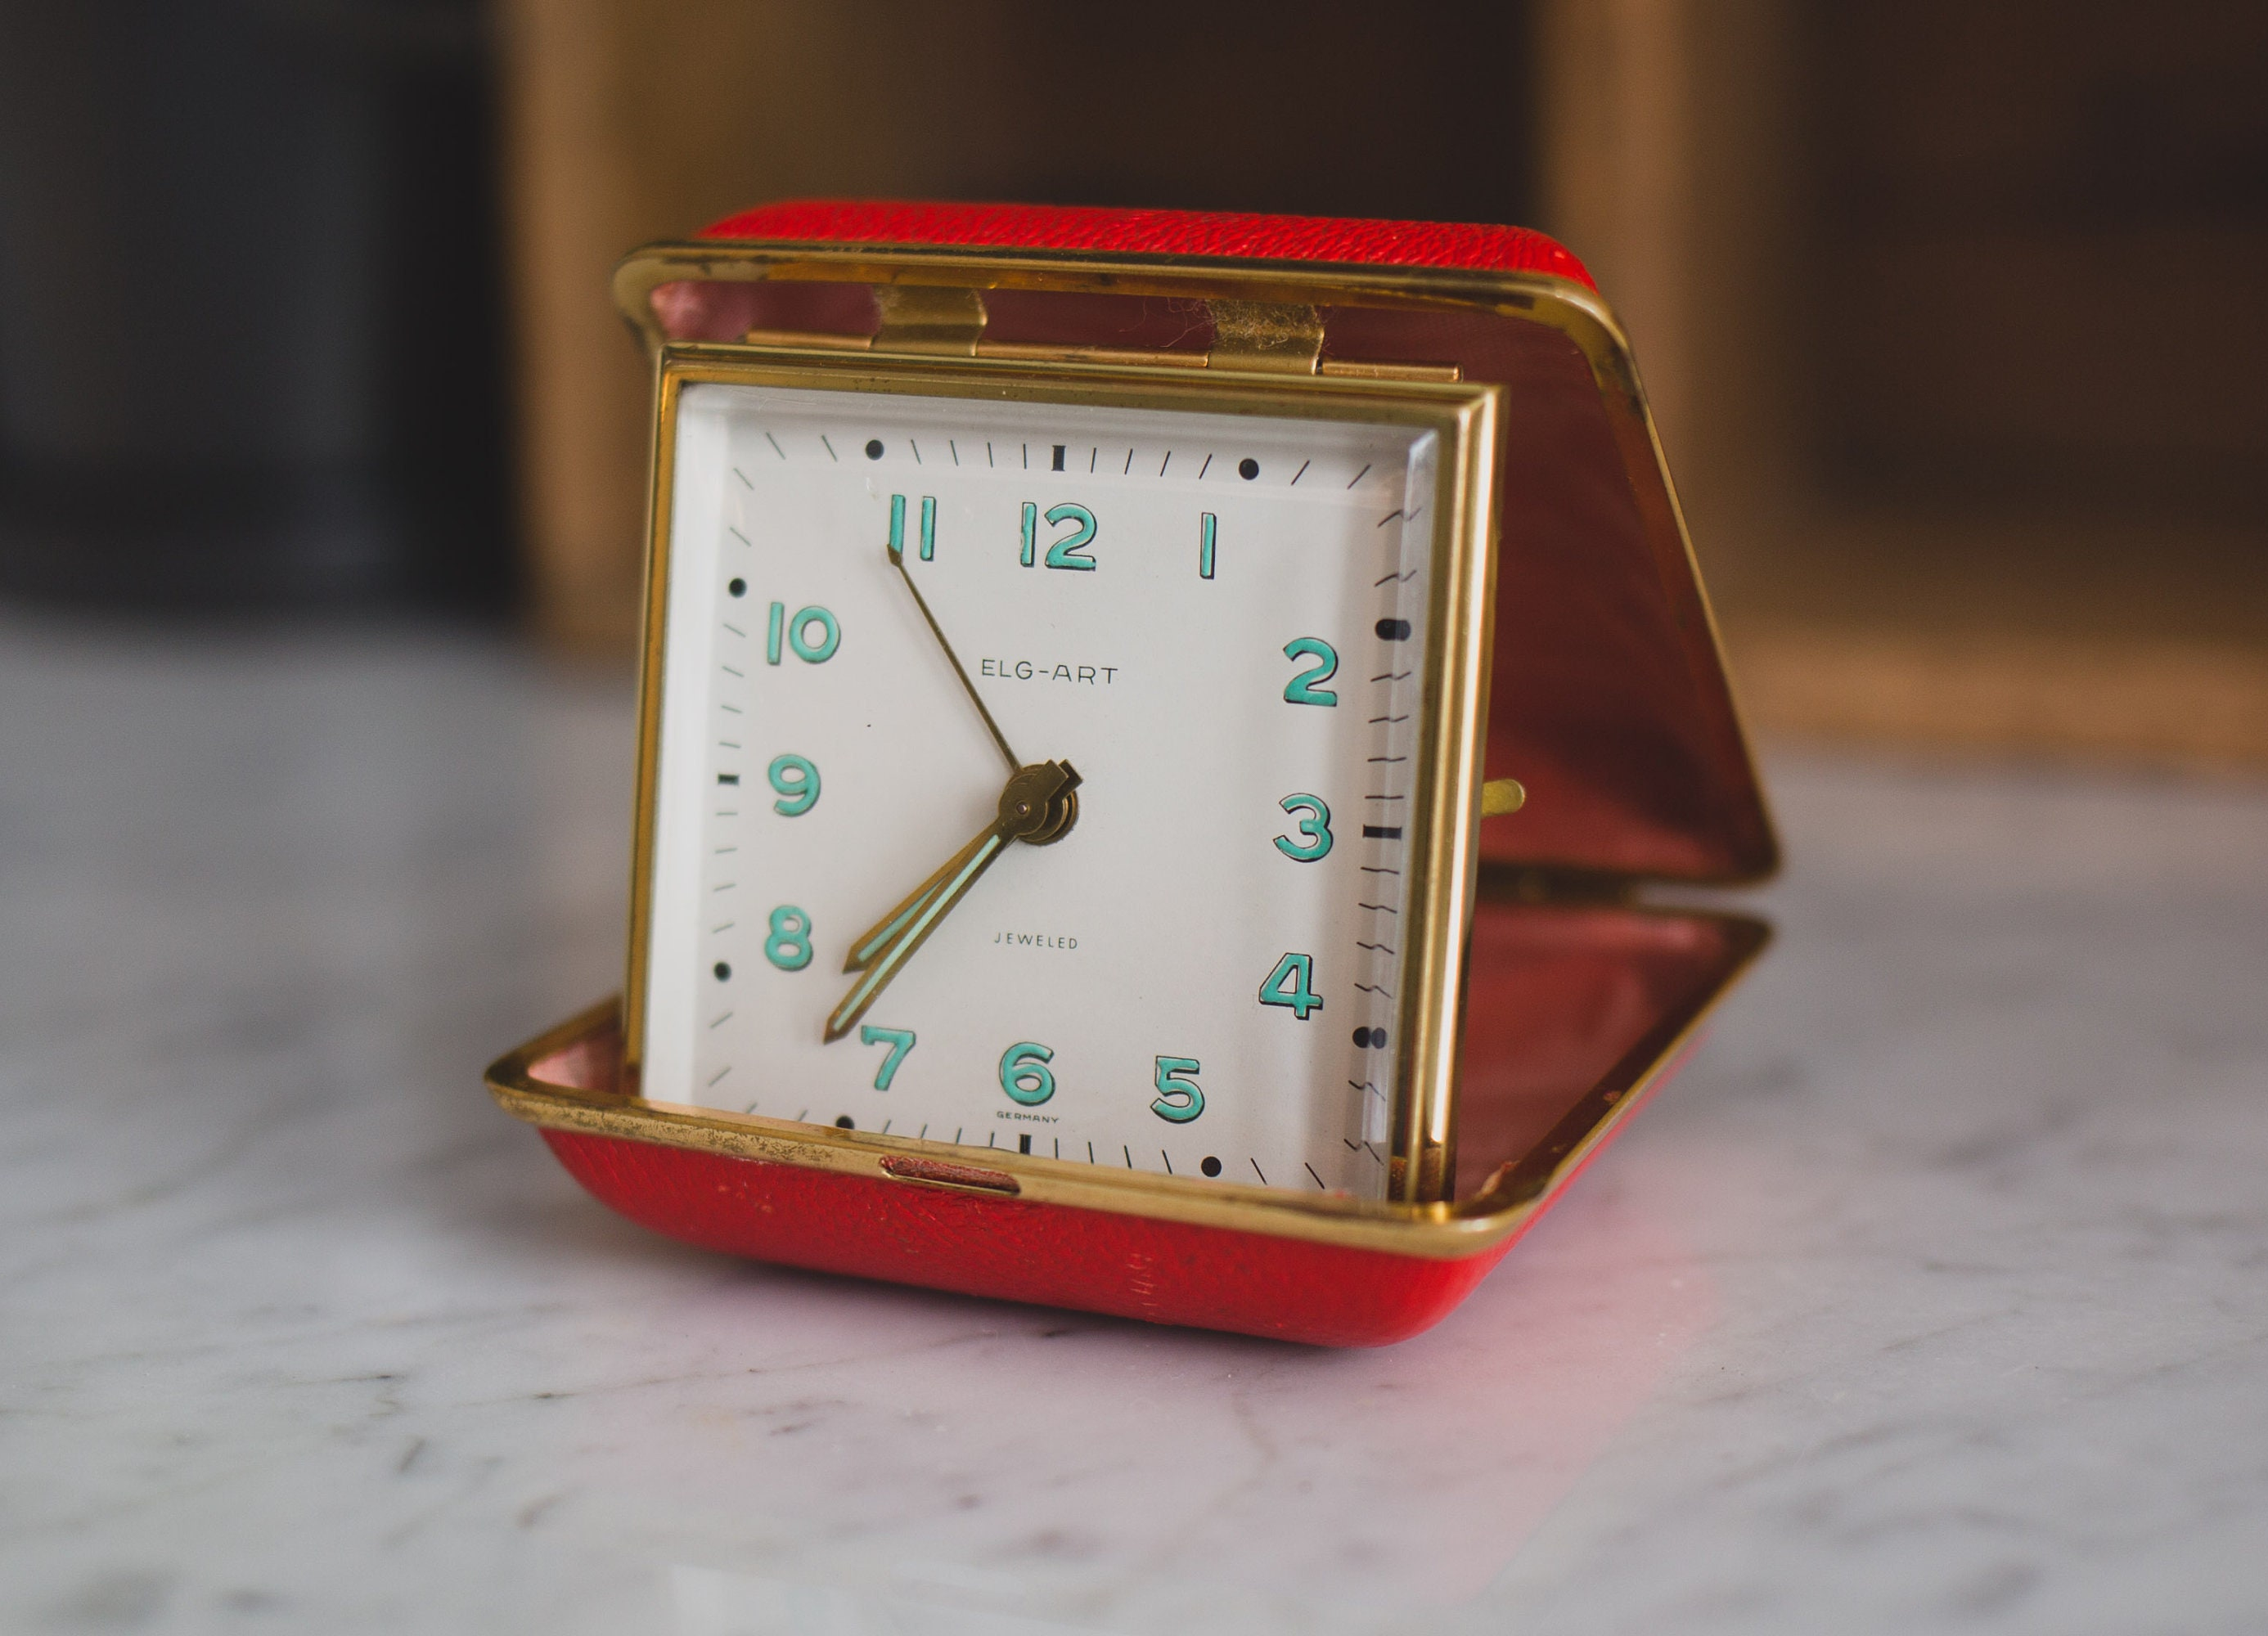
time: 7:37
